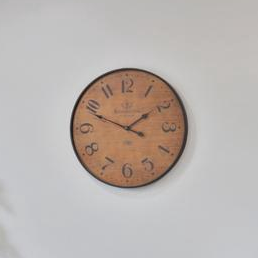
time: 1:48
